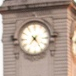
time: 7:23
